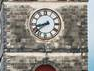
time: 8:38
